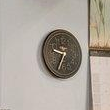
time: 9:34
